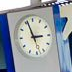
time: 2:56
